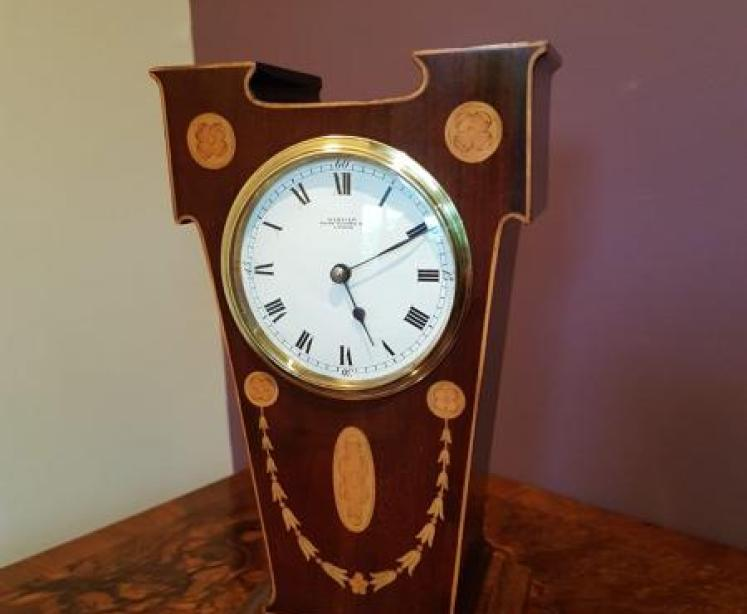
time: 5:10
